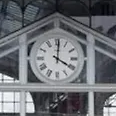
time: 4:01
